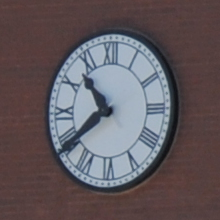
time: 10:39
